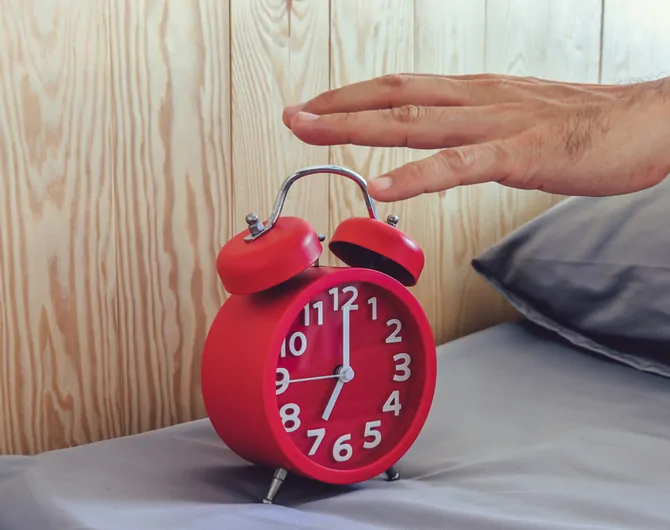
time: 7:00
